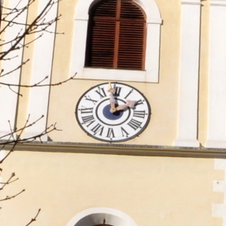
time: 2:00
